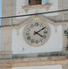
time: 4:09
